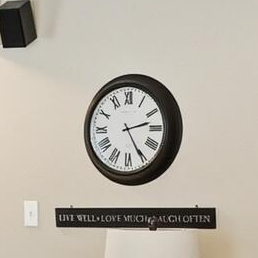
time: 2:25
